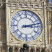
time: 3:12
